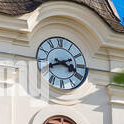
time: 3:41
